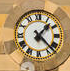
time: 1:22
